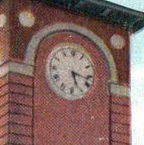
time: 5:16
